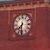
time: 7:31
